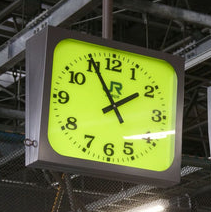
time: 1:55
